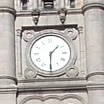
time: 1:30
